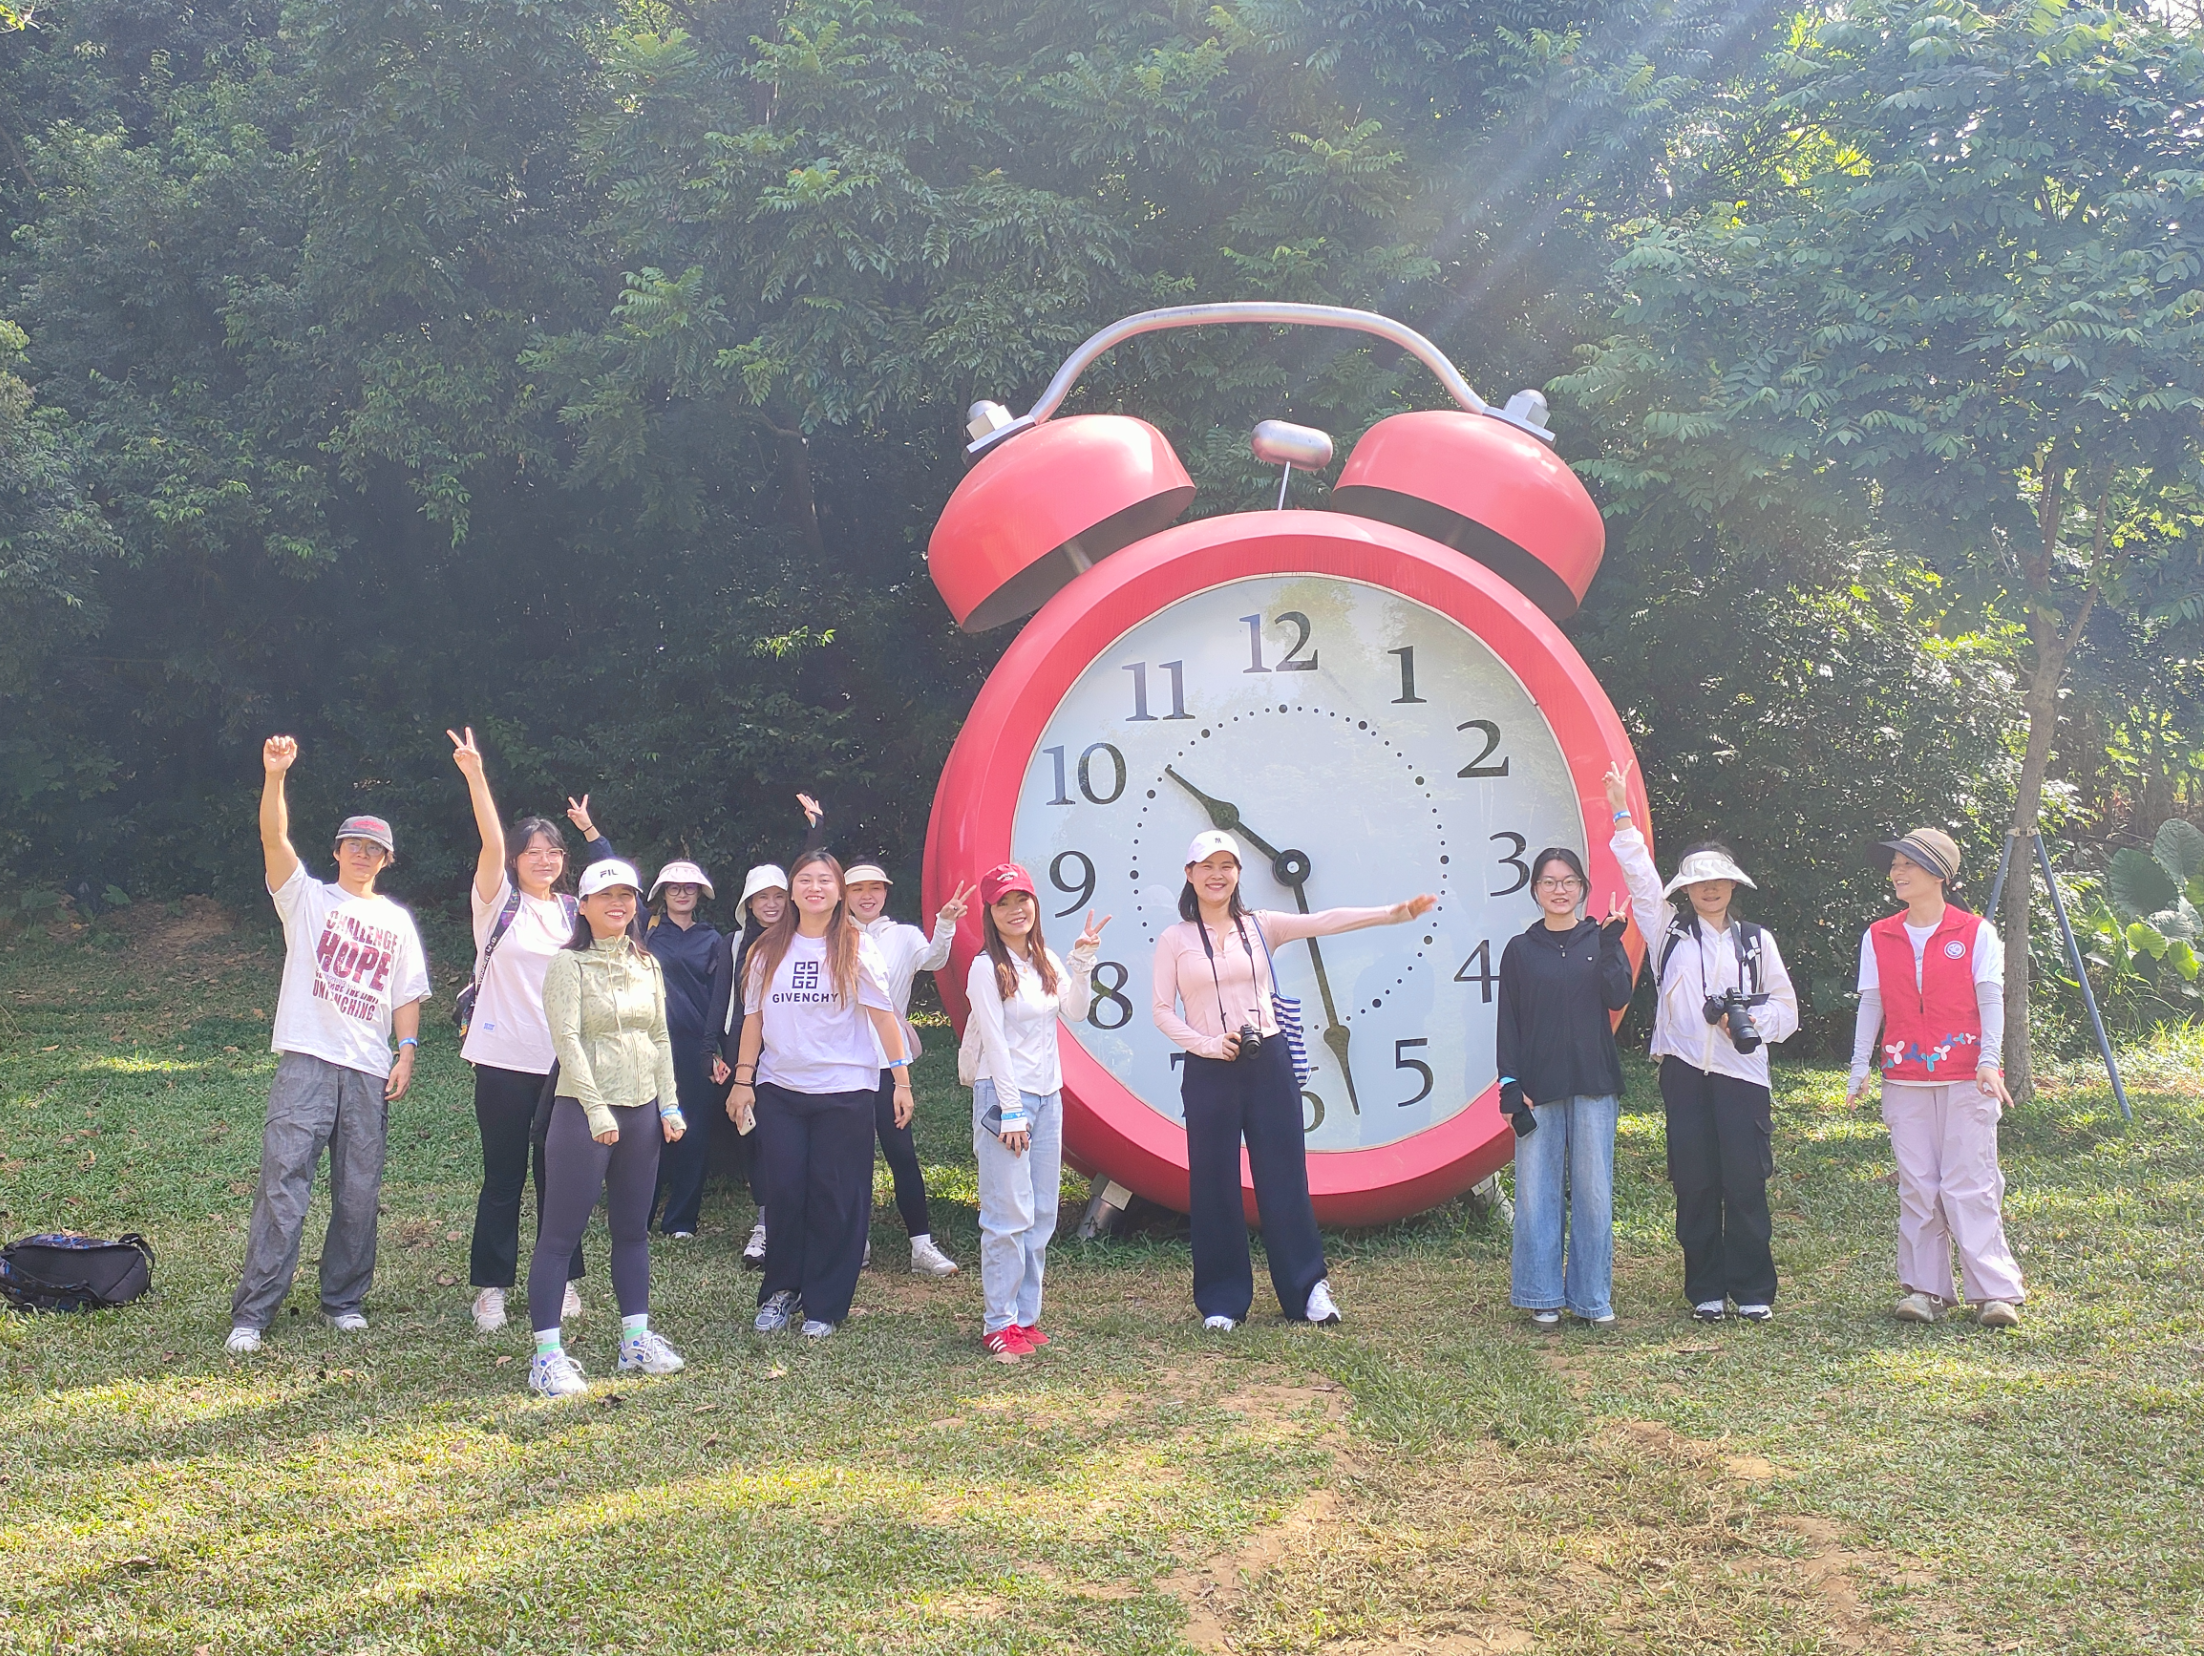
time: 10:27
